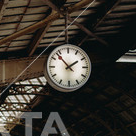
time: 1:53
